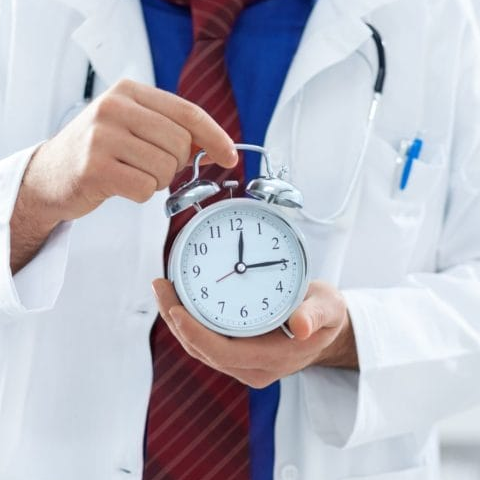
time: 12:14
